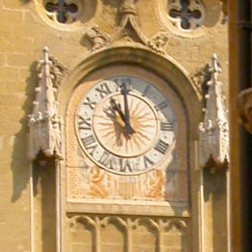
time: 11:00
